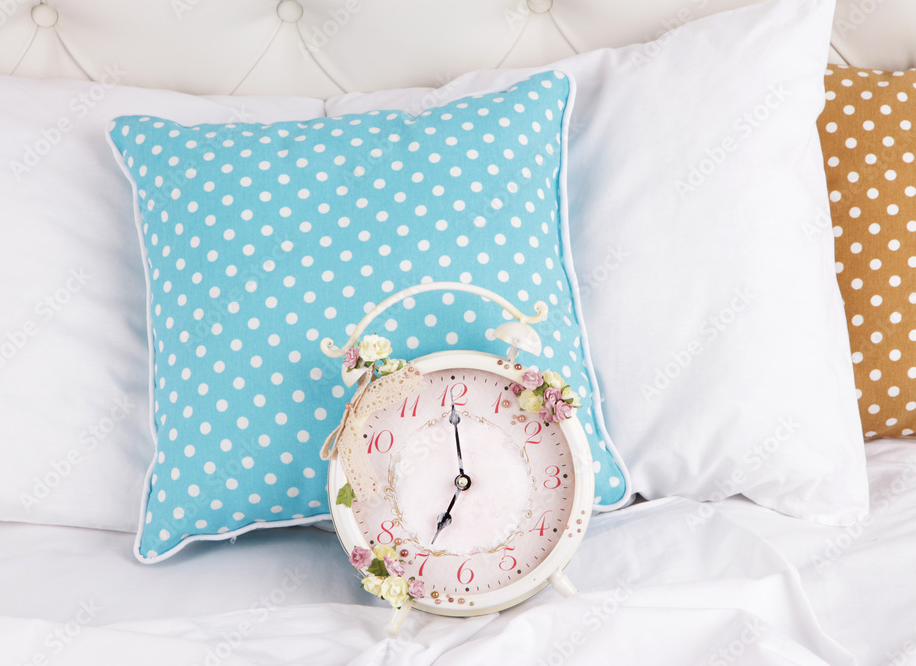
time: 7:00
